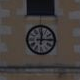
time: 12:14
